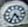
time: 4:35
